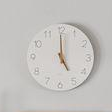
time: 5:00
